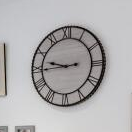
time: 9:44
